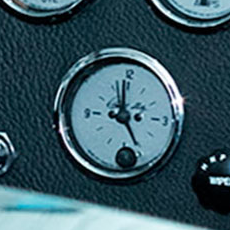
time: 4:59
